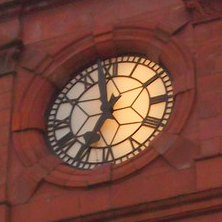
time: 6:58
